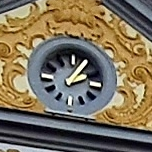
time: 2:05
